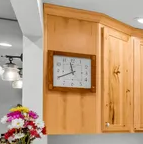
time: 11:40
